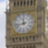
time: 11:42
